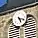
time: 5:18
